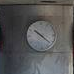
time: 10:21
